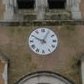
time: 12:49
